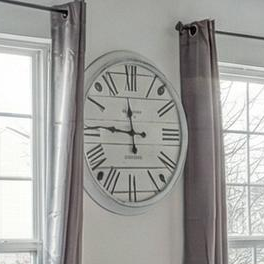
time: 11:45
